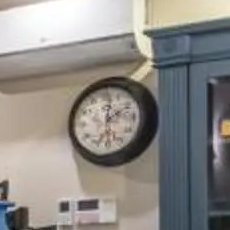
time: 2:01
